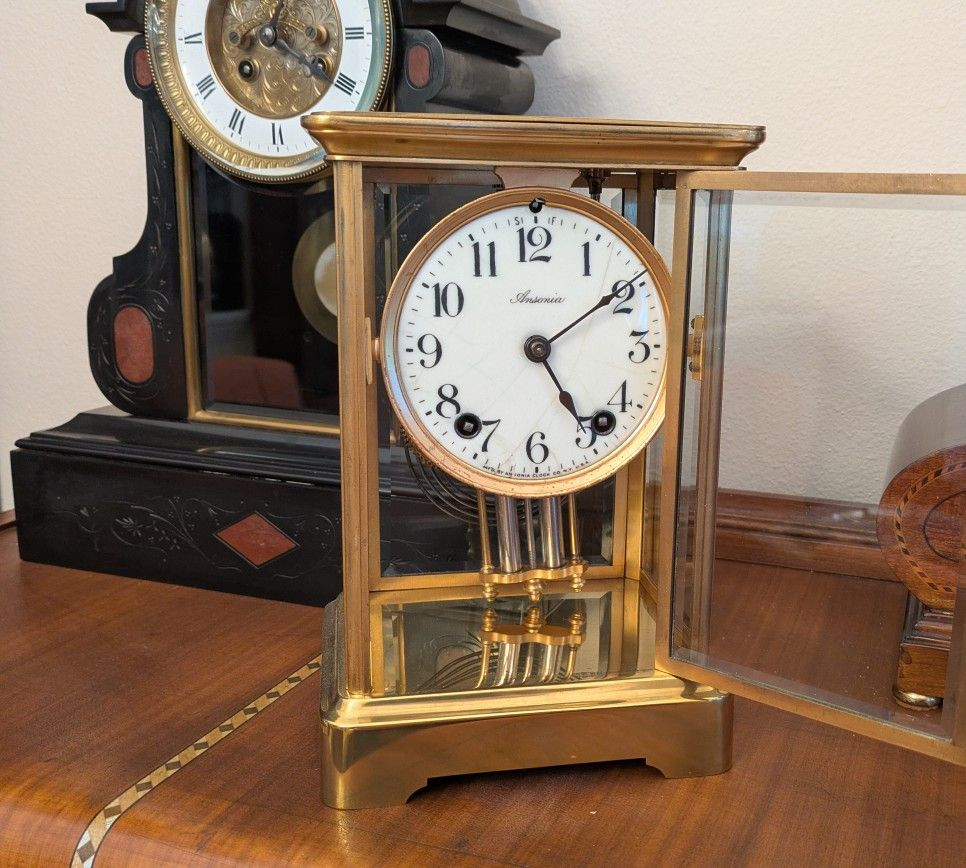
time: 5:09
